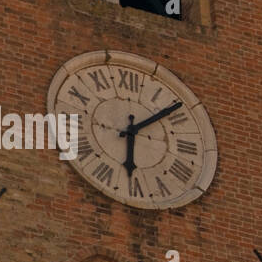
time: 6:08
